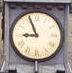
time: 8:56
